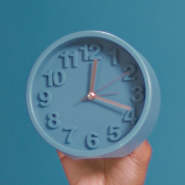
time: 12:18
